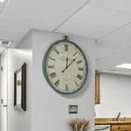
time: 12:07
